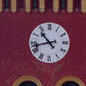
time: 10:42
